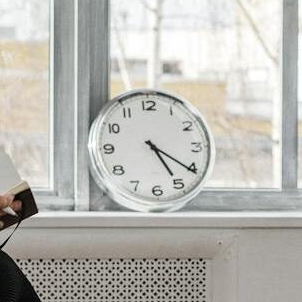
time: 5:20
